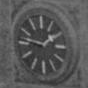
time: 1:46
